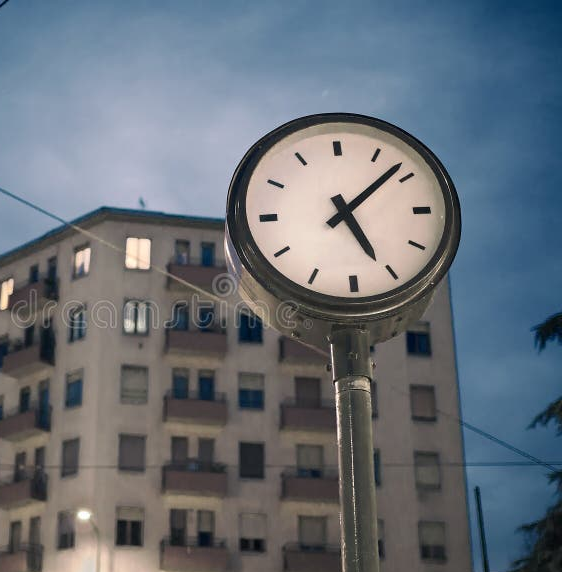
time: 5:08
